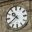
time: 10:39
